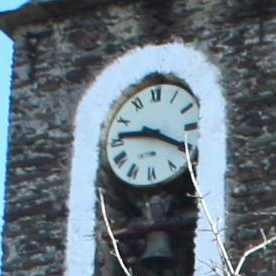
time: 9:19
